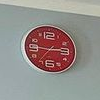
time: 2:45
